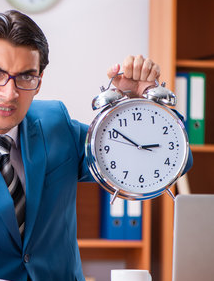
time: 2:51
